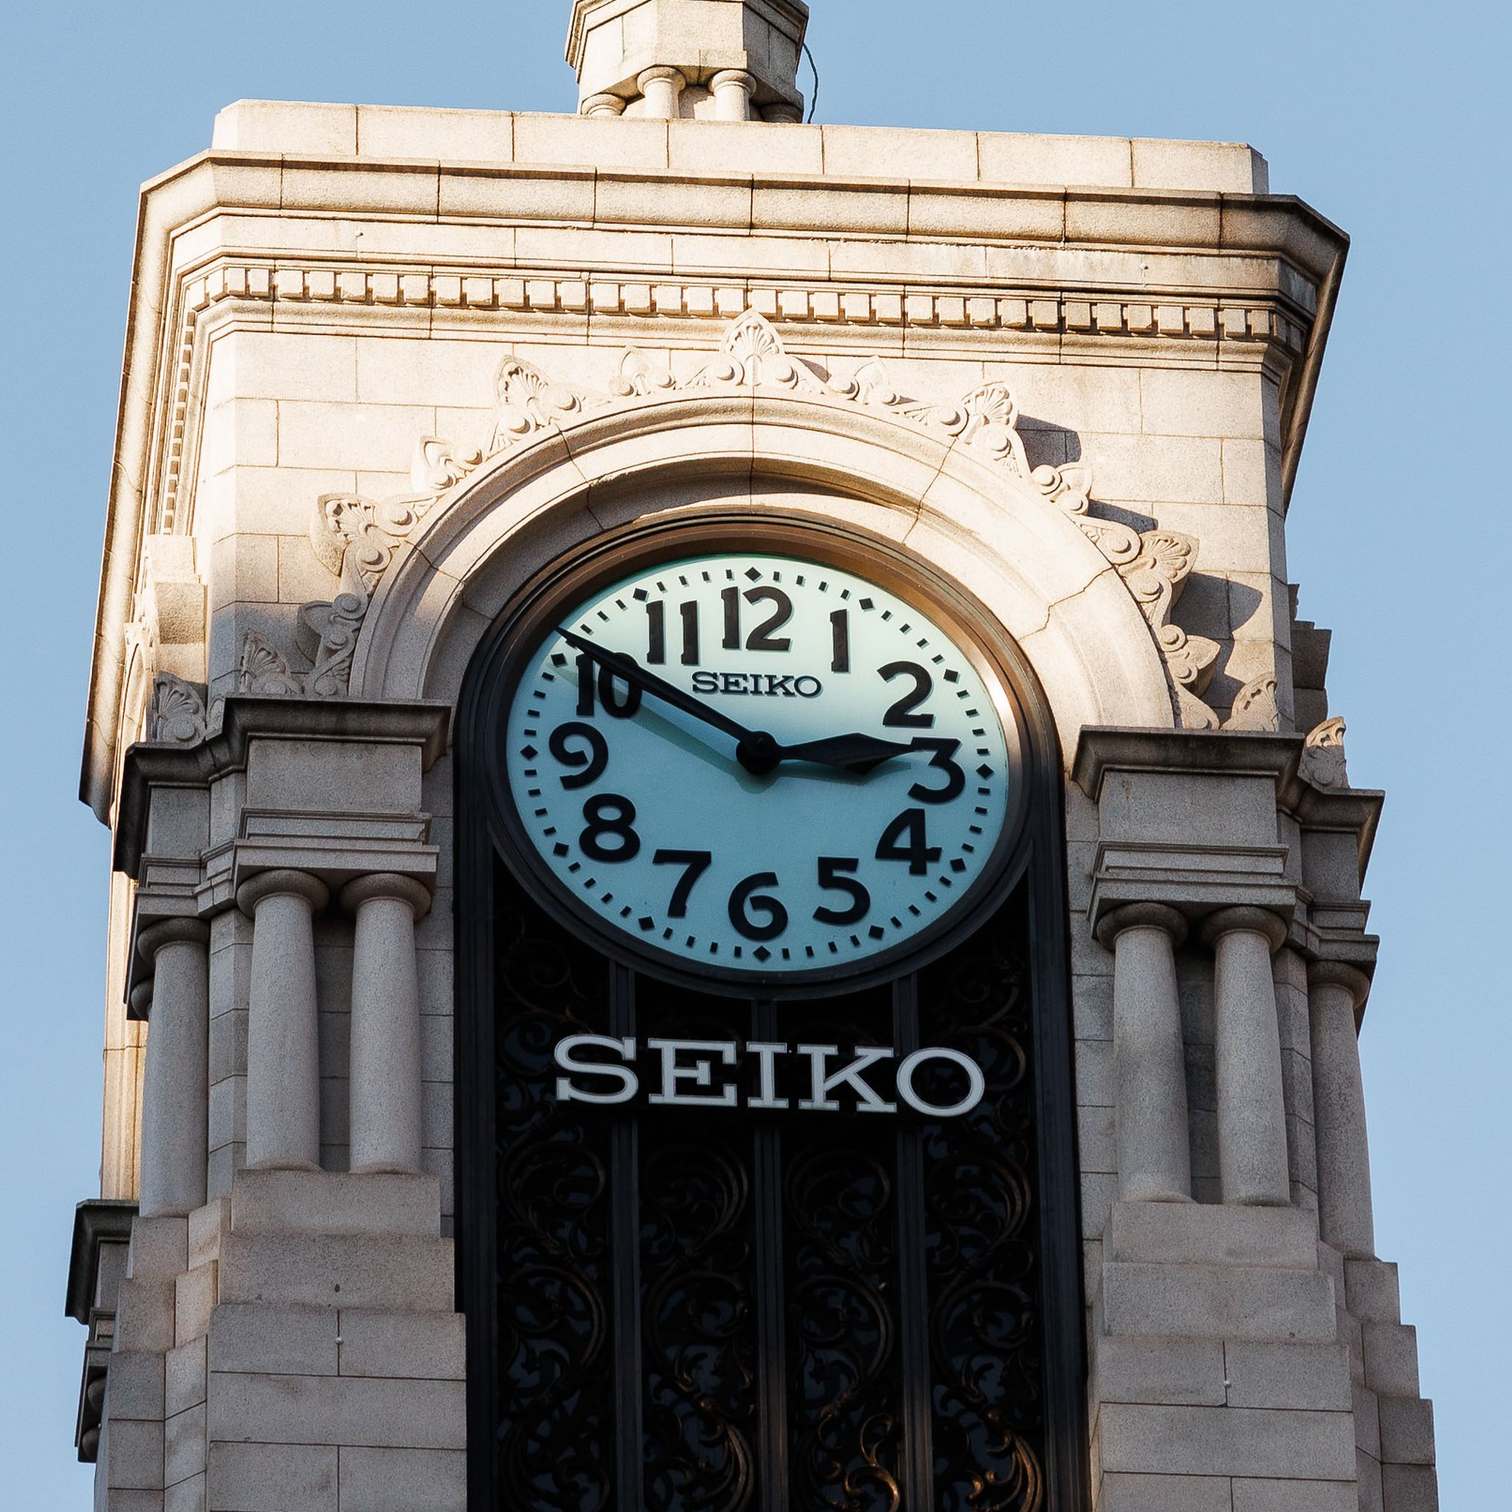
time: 2:50
